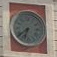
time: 6:38
